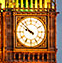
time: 9:52
